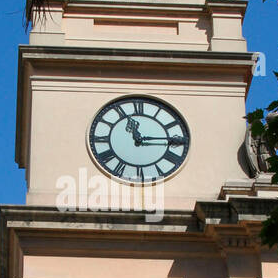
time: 11:14
